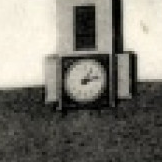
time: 1:13
